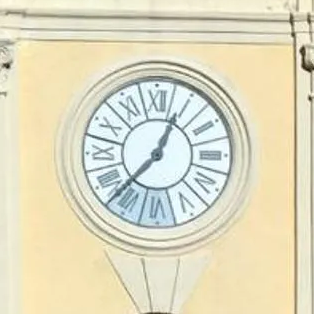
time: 12:37
